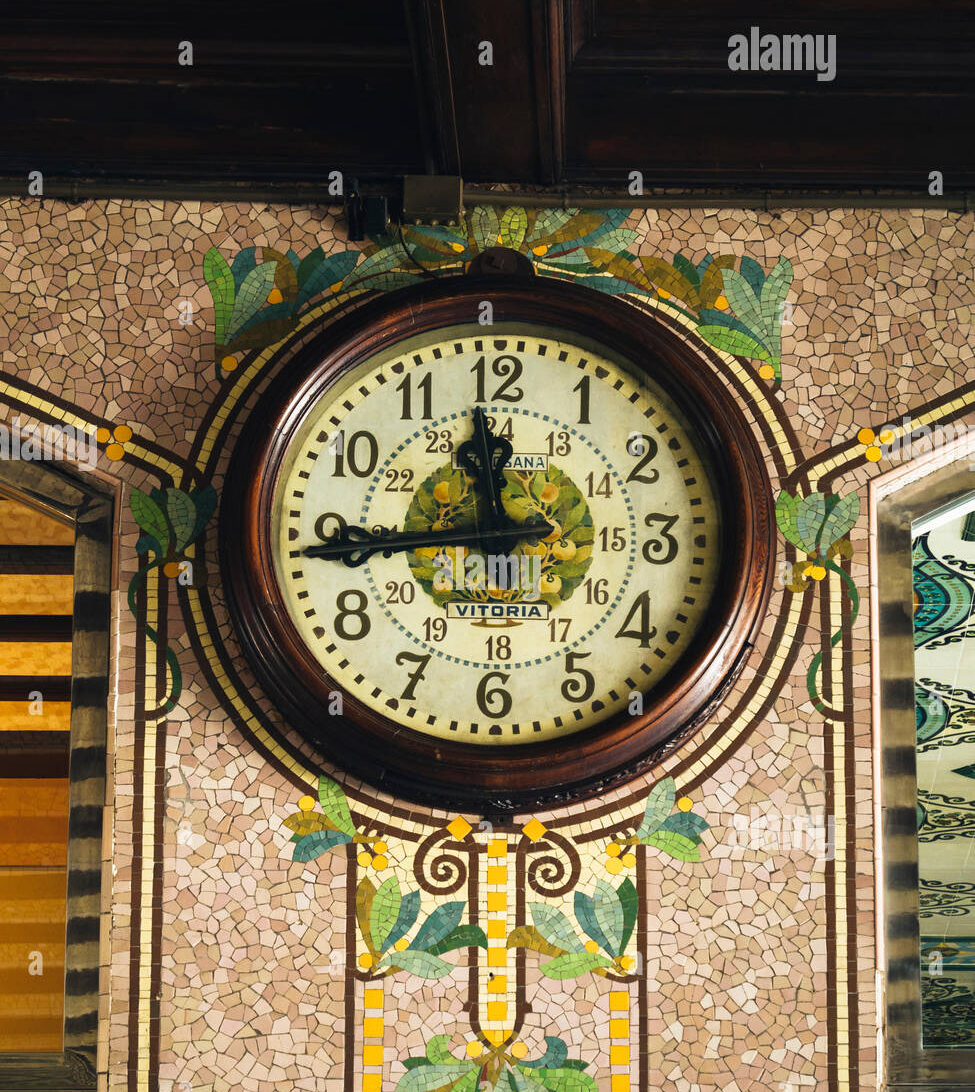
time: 11:44
